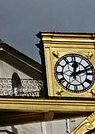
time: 12:11
